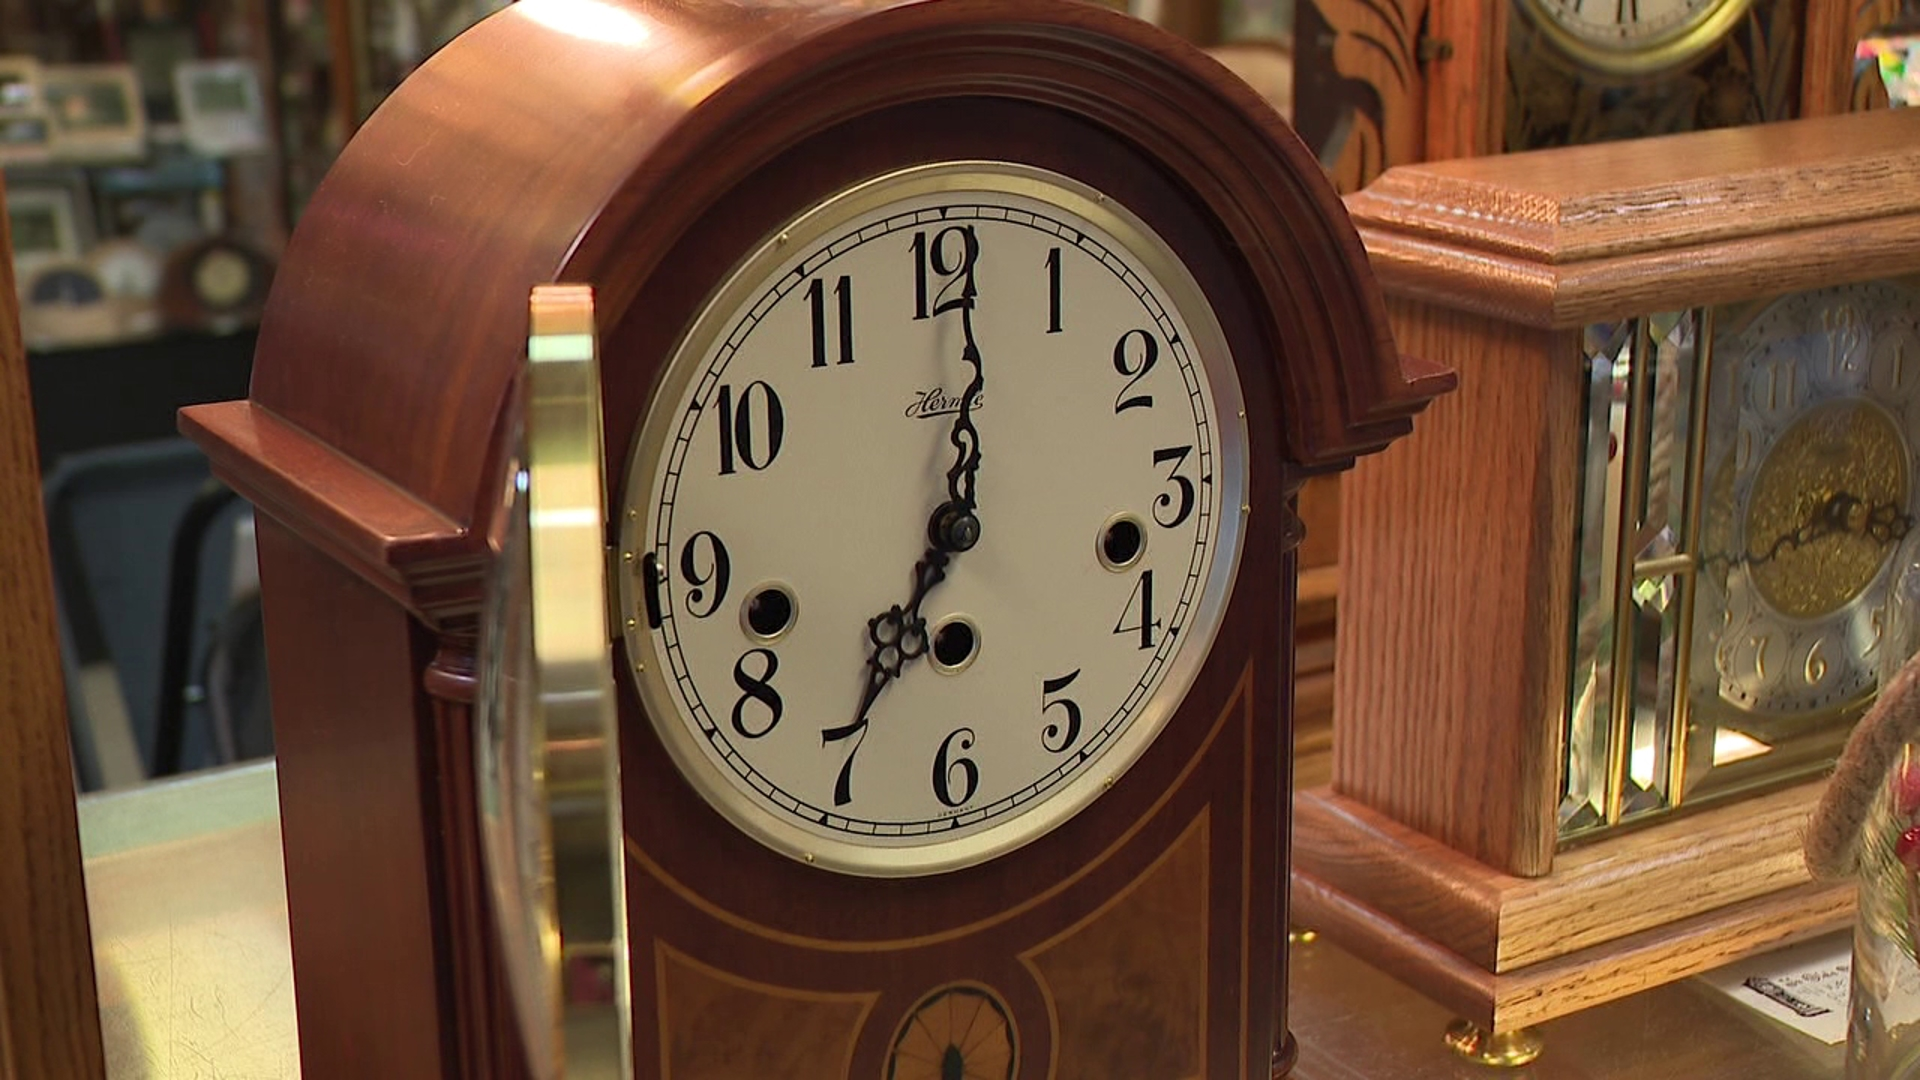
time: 7:01
